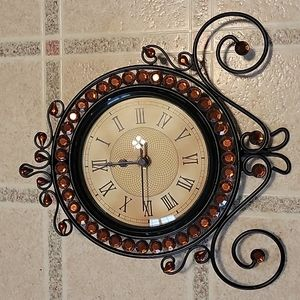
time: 11:44
